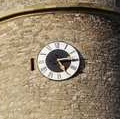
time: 5:14
